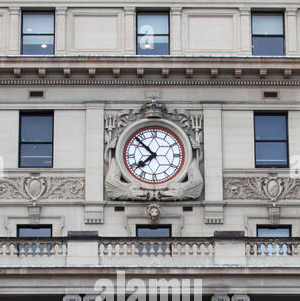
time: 7:52
